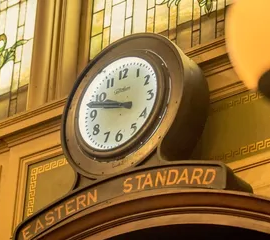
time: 9:47
